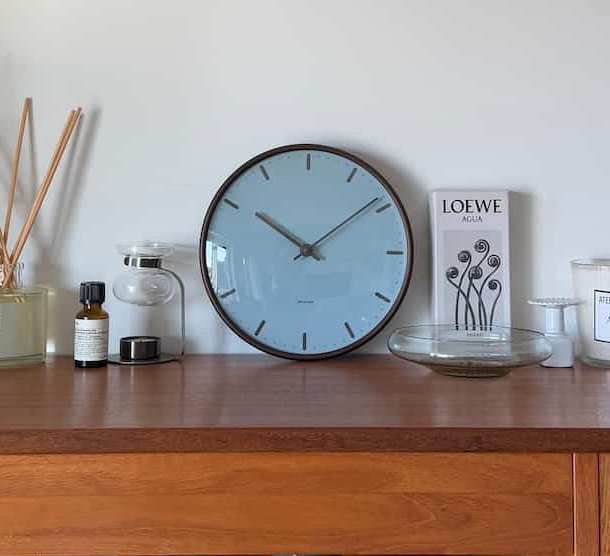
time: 10:08
